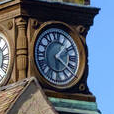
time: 1:21
